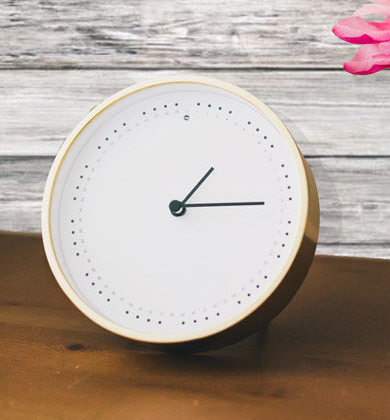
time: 1:14
